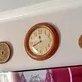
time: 11:41
